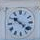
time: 10:21
